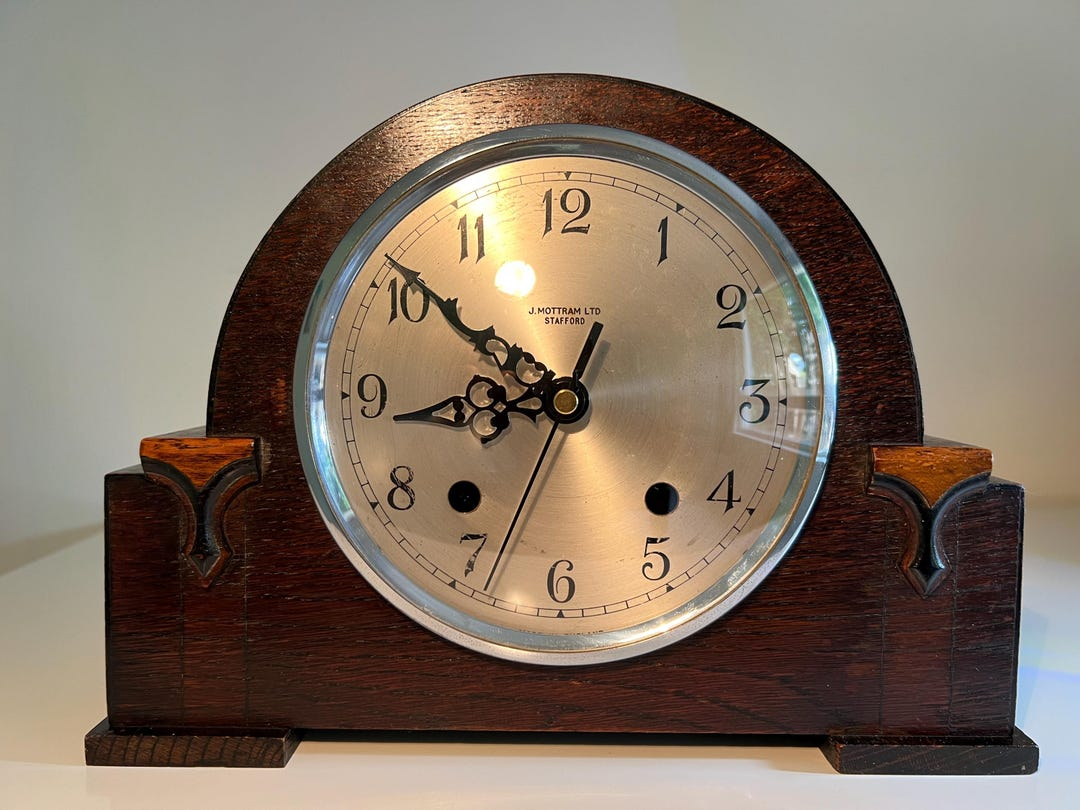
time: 8:51
